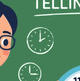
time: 2:00
